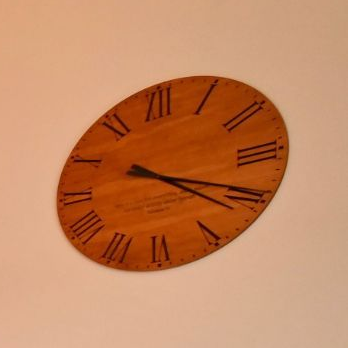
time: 4:19
